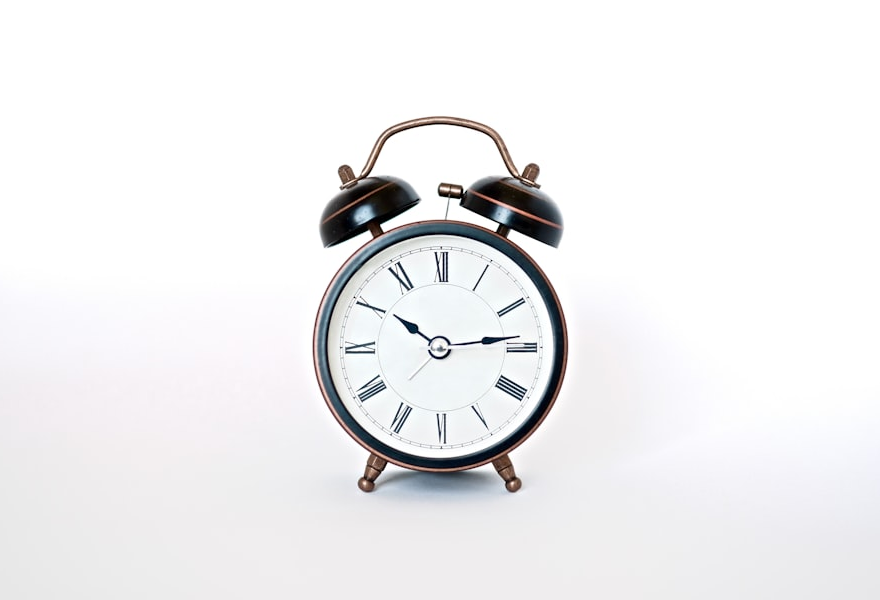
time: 10:13
